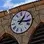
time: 1:16
